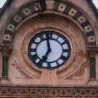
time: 6:58
